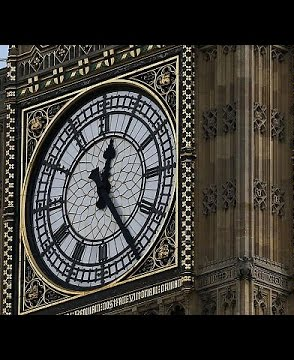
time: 12:24
